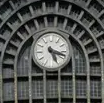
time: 5:18
